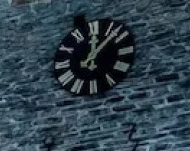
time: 12:07
